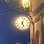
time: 5:03
